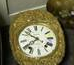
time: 7:51
